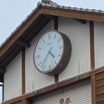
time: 4:37
